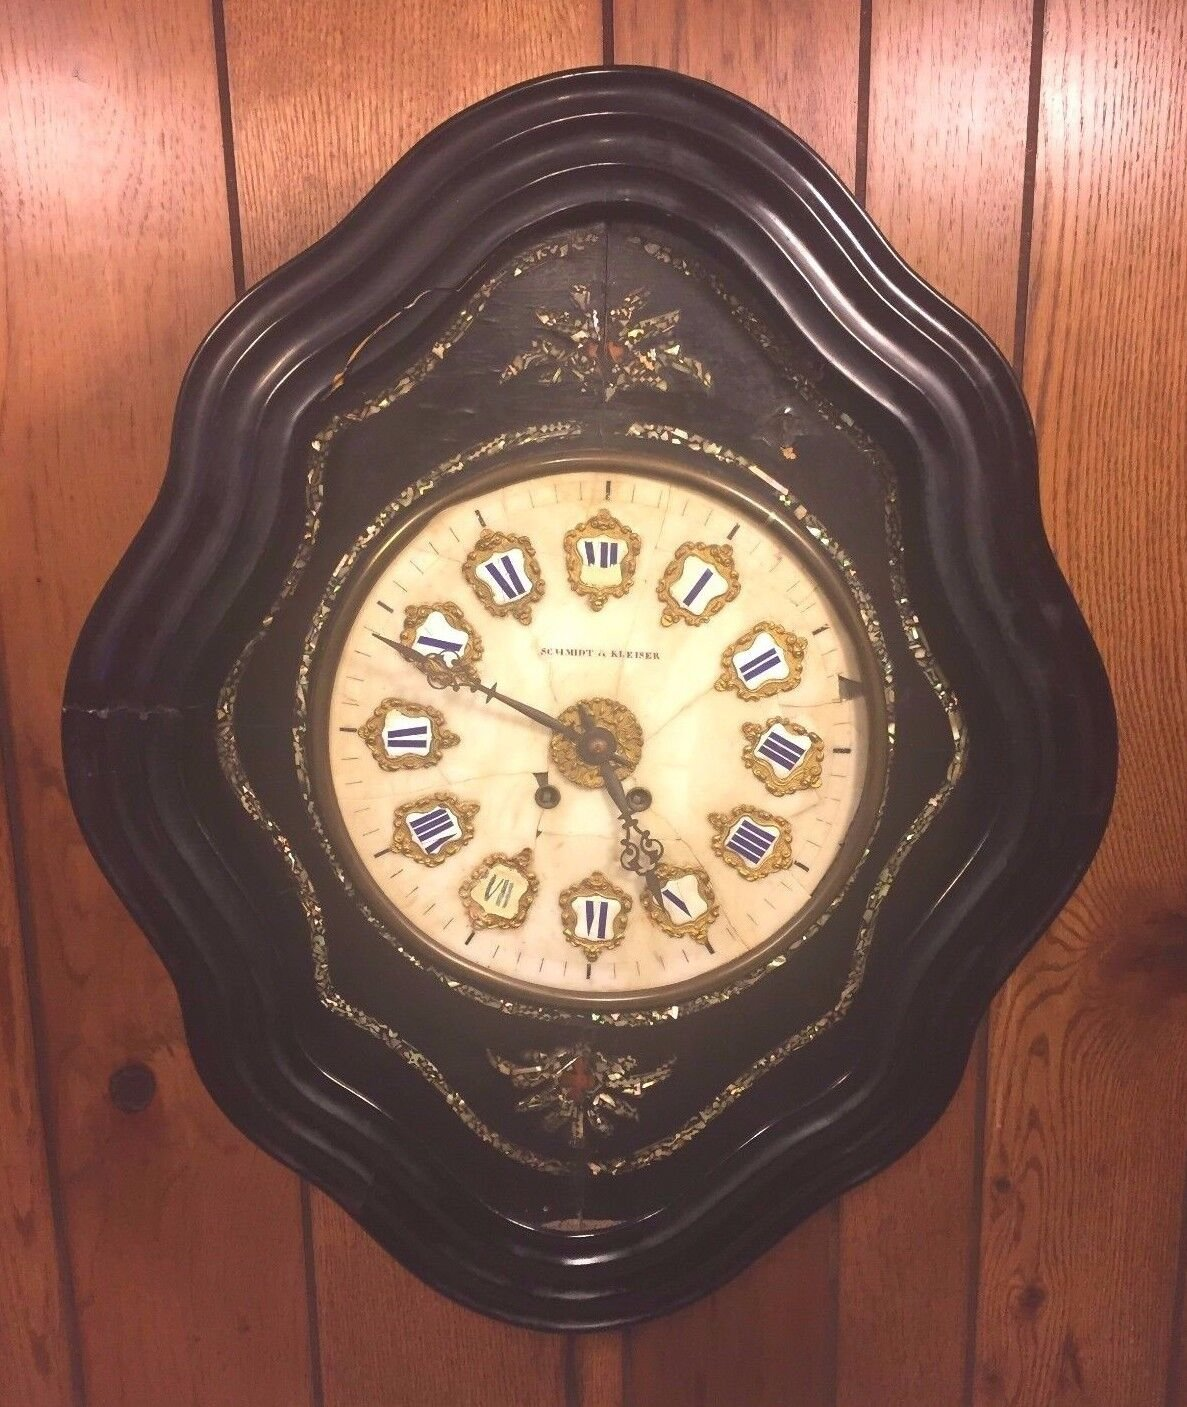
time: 4:49
